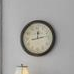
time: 12:13
